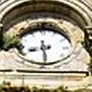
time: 8:29
